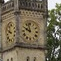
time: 9:57
